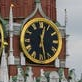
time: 12:28
